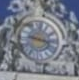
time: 9:17
